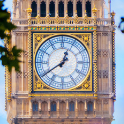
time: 12:39
